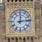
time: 12:13
